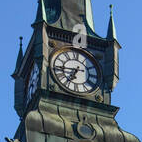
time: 6:44
